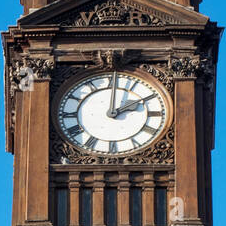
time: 2:01
